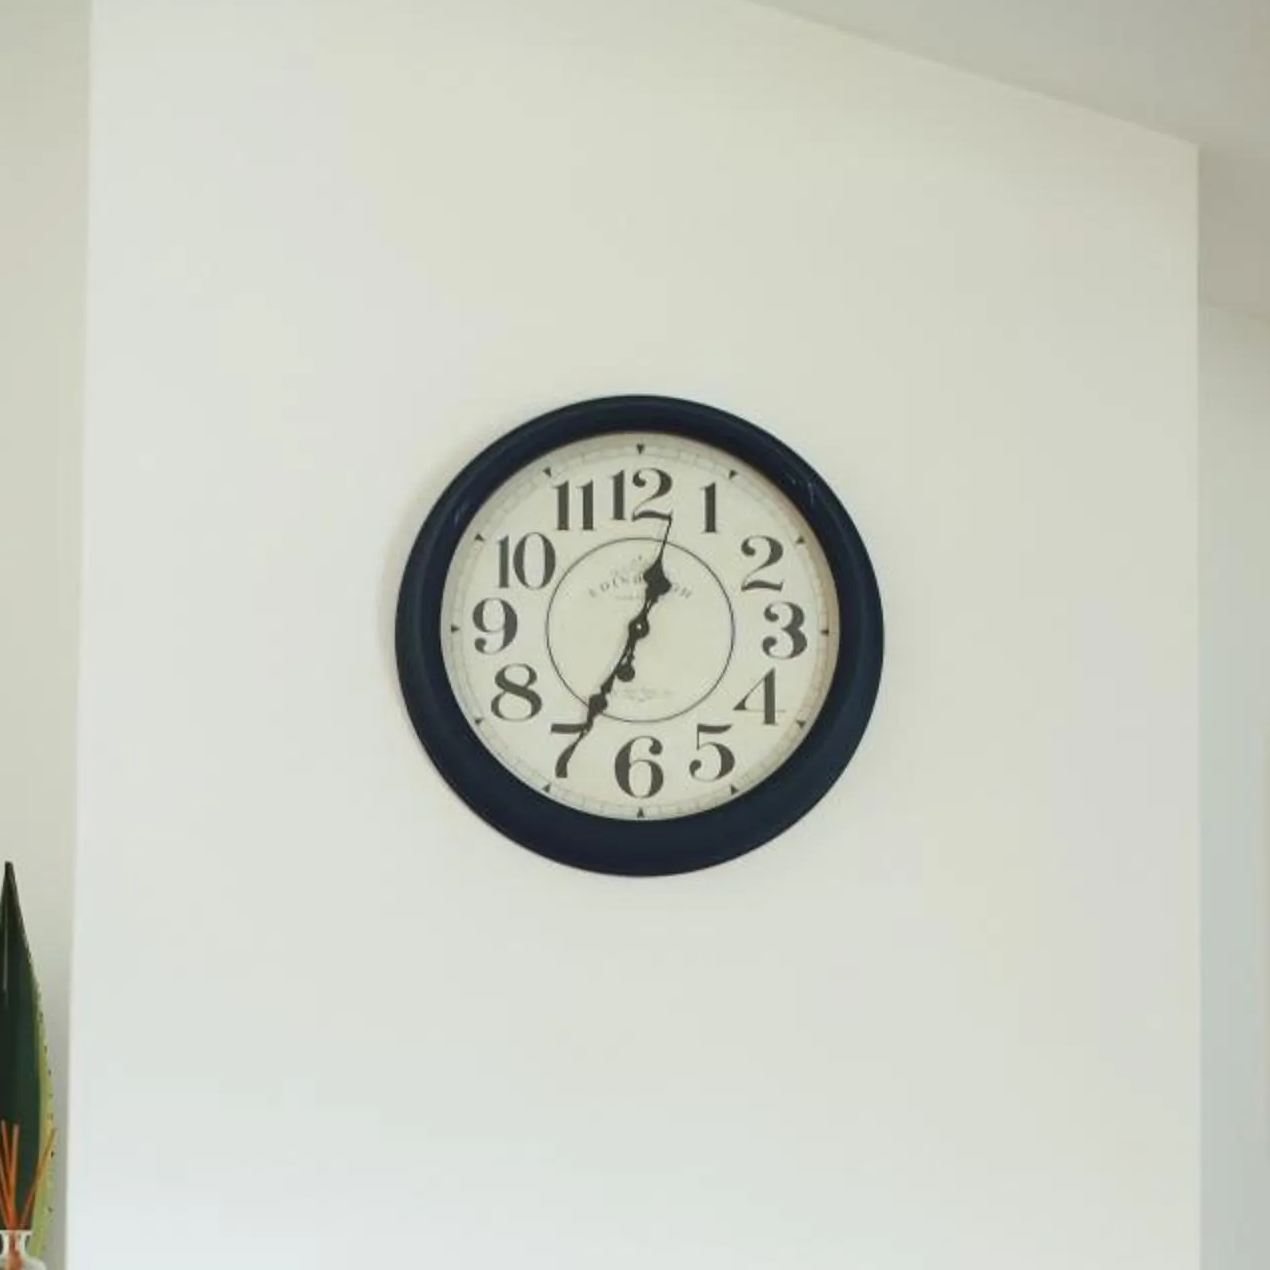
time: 12:34
